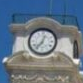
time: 12:36
